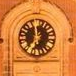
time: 6:58
